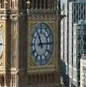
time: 11:14
